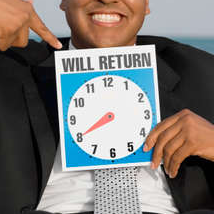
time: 8:40
